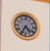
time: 4:34
